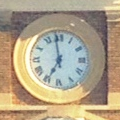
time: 6:58
